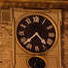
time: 4:37
